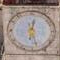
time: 12:27
